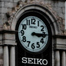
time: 3:14
